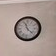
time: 11:22
